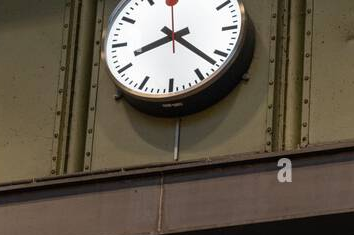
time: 8:21
